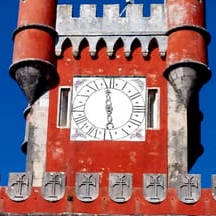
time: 5:59
